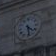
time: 4:28
